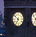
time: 6:52
